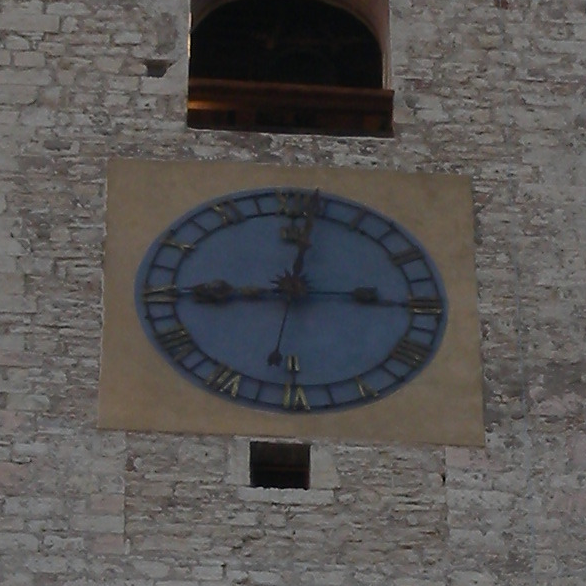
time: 9:01
